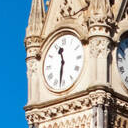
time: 11:31
